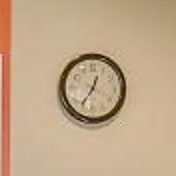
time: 12:36
